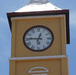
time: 12:46
